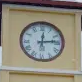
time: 12:13
